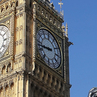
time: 8:43
